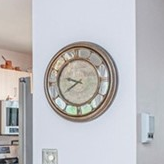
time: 9:39
